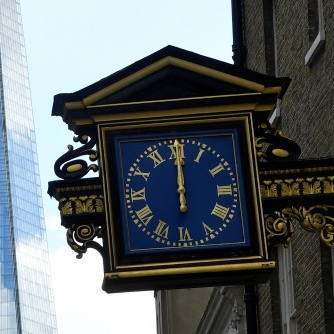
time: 12:00
